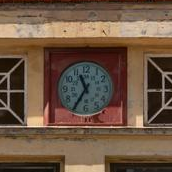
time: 11:35
